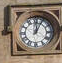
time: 12:04
